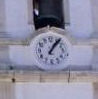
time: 1:06
